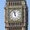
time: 11:57
